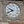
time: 9:41
